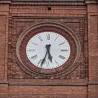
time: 5:33
